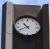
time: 10:41
